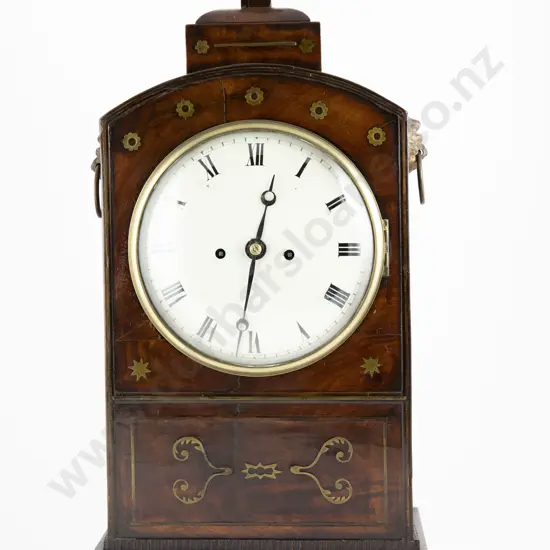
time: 12:31
